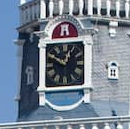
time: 12:49
